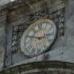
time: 2:48
